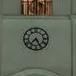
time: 7:25
